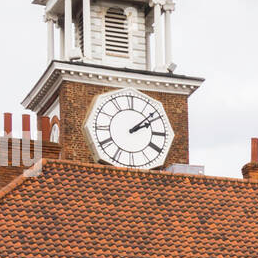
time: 2:08
